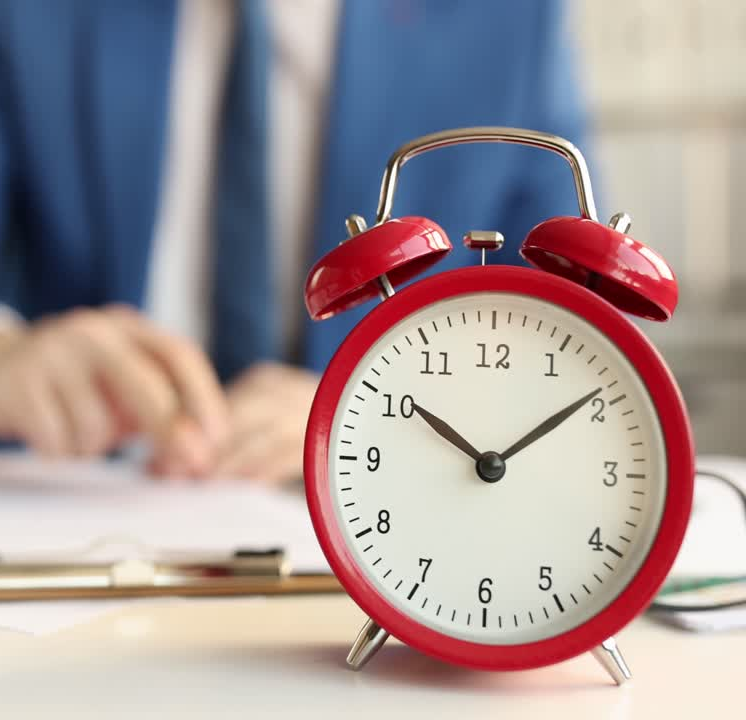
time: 10:08
